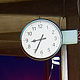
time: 8:34
